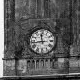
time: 11:43
